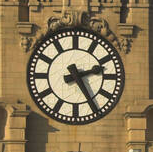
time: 2:25
